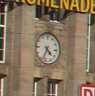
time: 4:33
